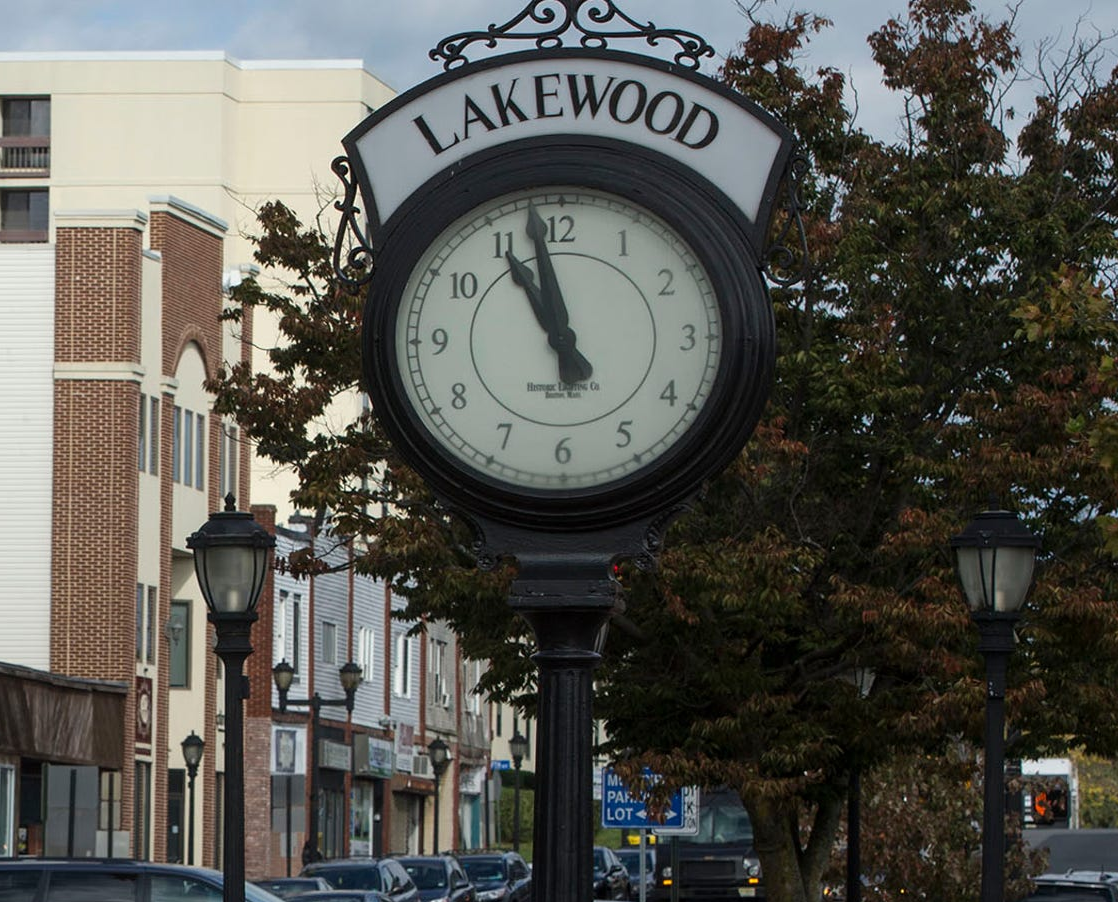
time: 10:58
